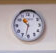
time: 10:32
